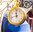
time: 11:42
